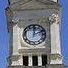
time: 12:11
